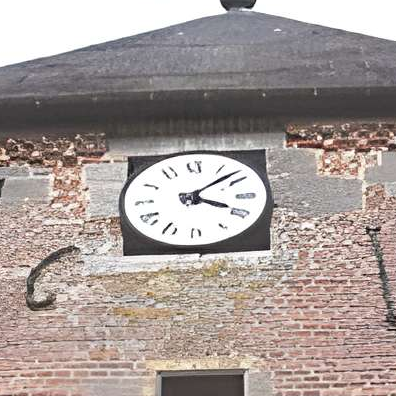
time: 4:08
